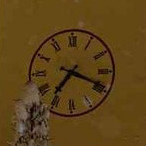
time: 7:18
